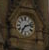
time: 7:12
